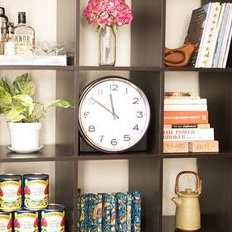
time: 11:50
